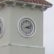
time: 3:11
